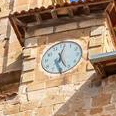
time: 12:26
